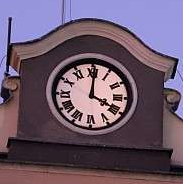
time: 4:00
